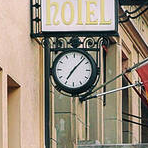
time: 7:07
